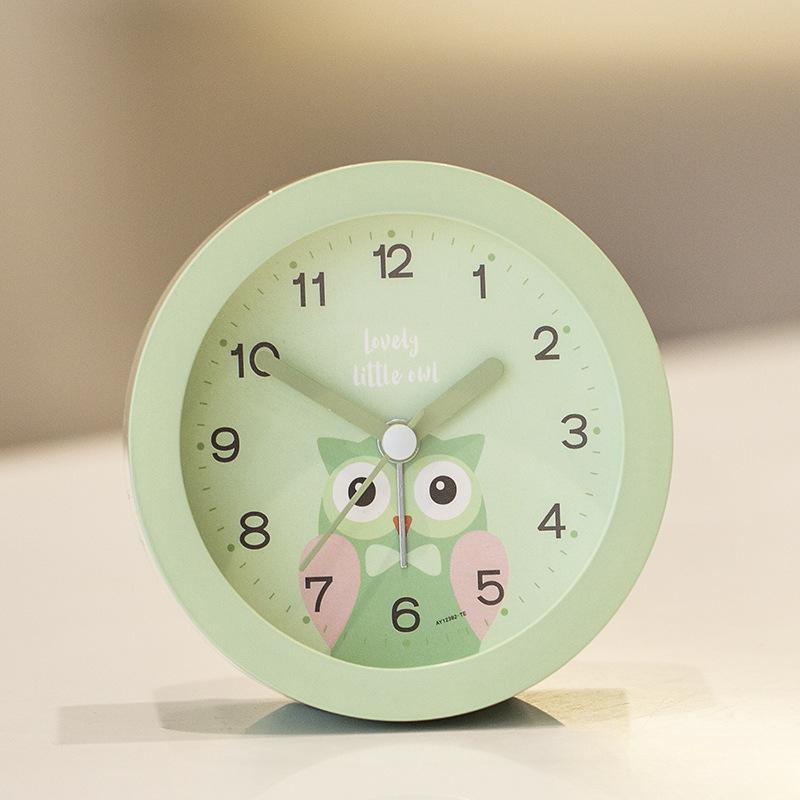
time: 1:50
